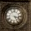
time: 4:16
